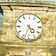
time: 4:33
